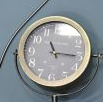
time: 11:15
